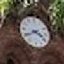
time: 3:40
